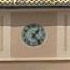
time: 1:23
